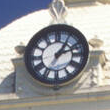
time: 1:11
